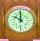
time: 10:00
